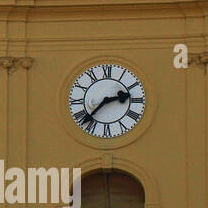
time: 2:37
